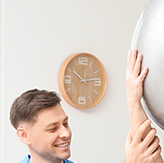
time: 10:13
